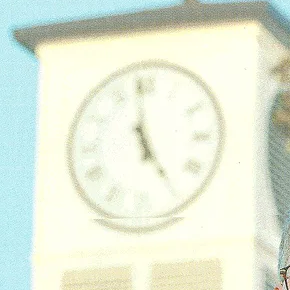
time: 4:58
